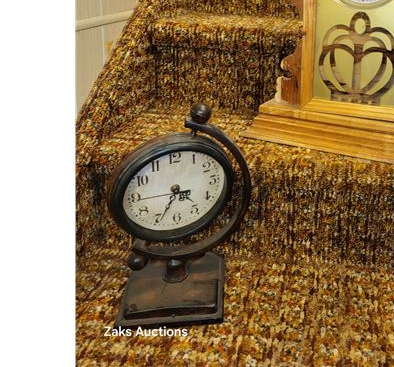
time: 4:34
